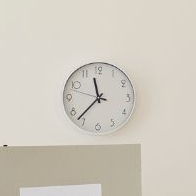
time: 11:36
